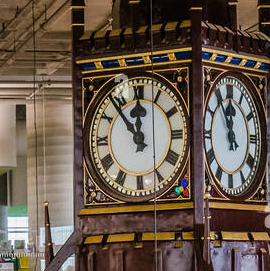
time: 11:53
